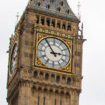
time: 2:54
